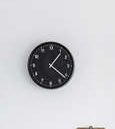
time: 1:21
